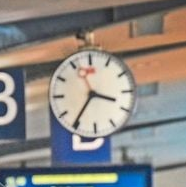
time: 3:35
